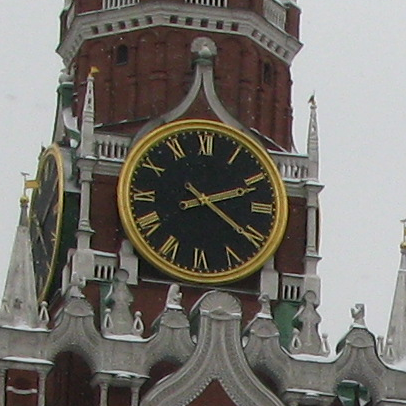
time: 2:20
